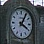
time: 4:05
